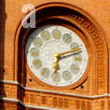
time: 6:11
